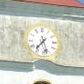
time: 7:27
